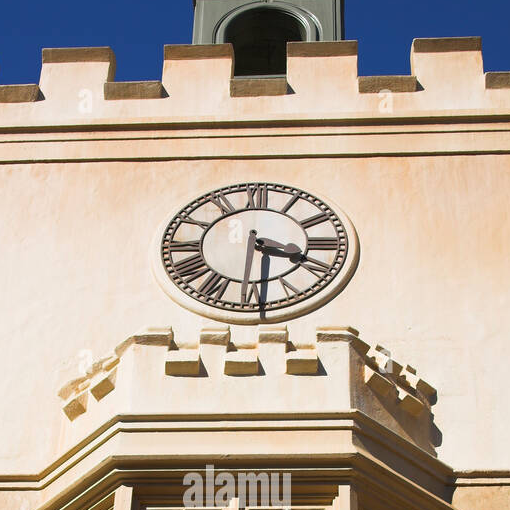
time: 3:29
